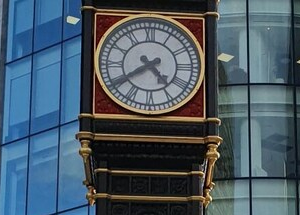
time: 4:39
